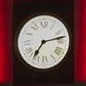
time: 7:13
